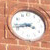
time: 3:42
